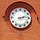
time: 2:13
